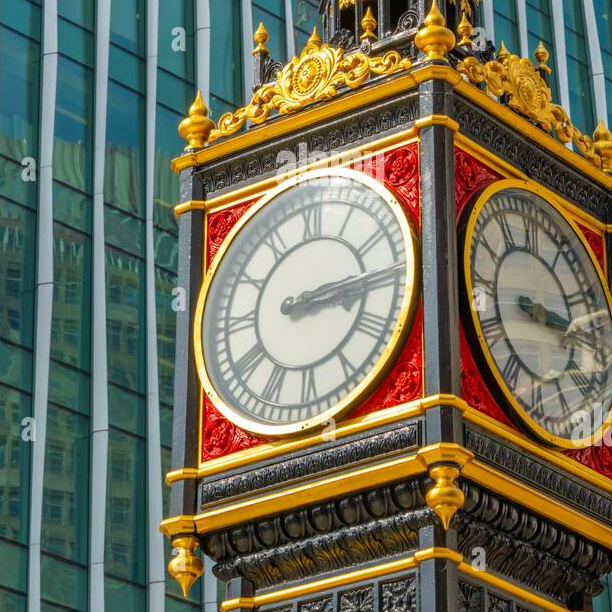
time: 3:14
